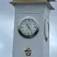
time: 4:53
